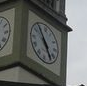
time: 4:54
